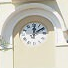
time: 12:09
